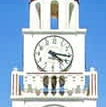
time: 4:16
